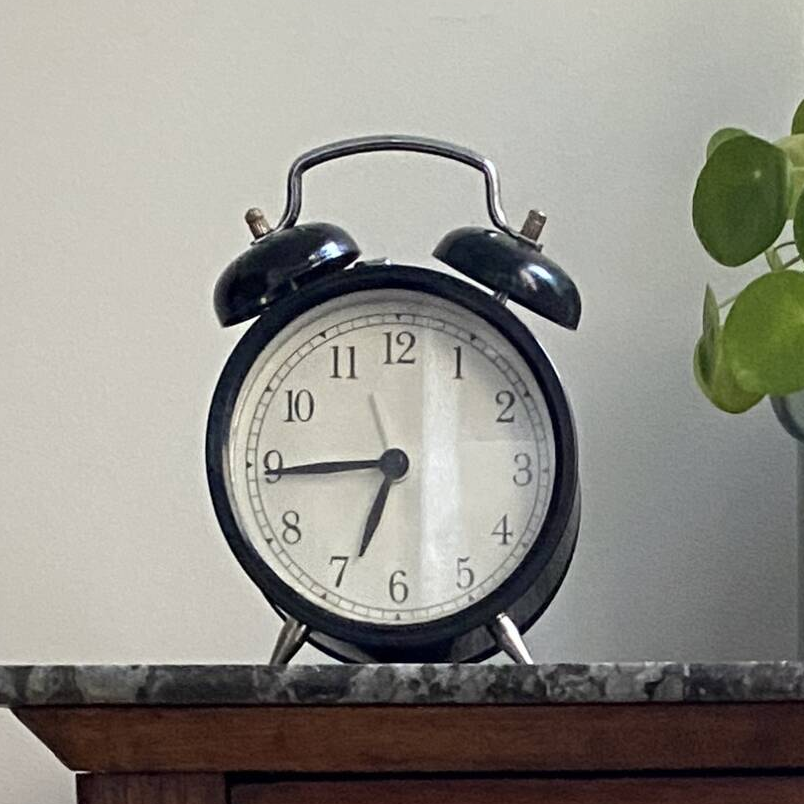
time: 6:44
